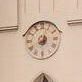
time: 8:03
